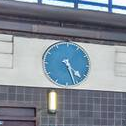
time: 4:26
